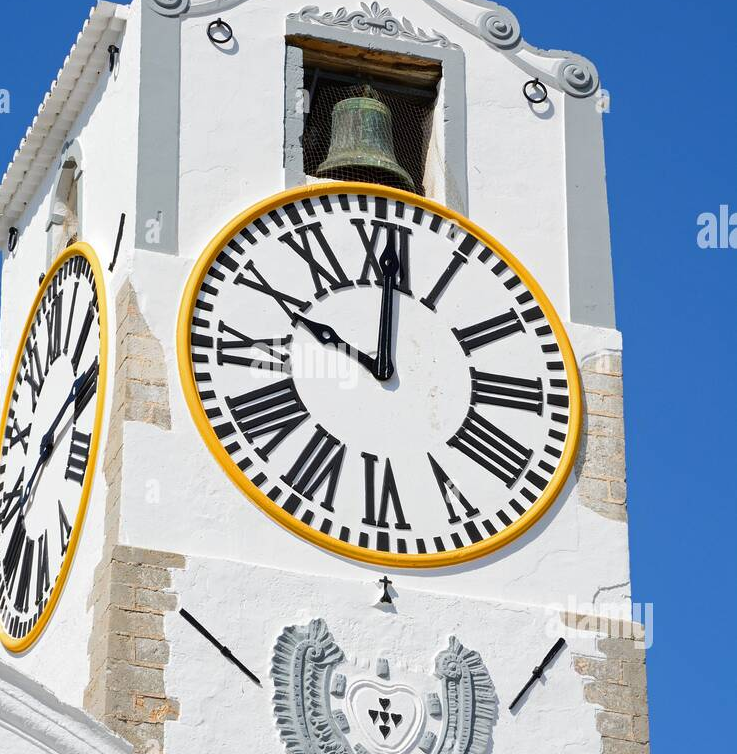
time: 10:00
